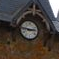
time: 2:46
